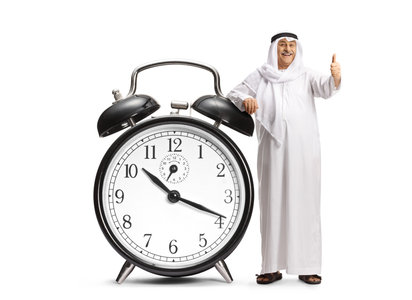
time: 10:18
